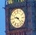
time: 9:22
